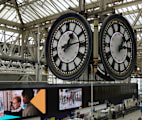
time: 1:13
